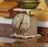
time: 12:32
